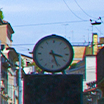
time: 3:26
